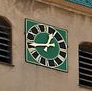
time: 12:43
